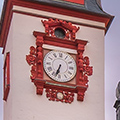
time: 6:34
